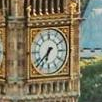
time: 6:37
